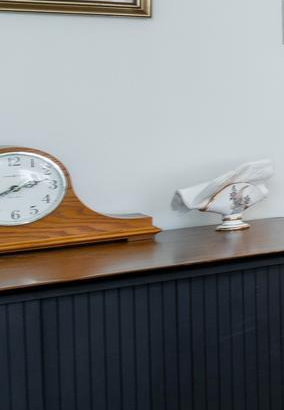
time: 8:12
